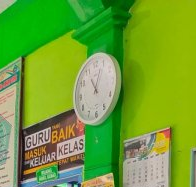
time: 11:03
